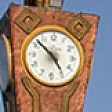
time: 4:51
